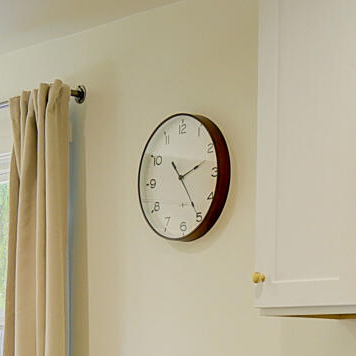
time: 2:24
